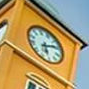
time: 6:13
